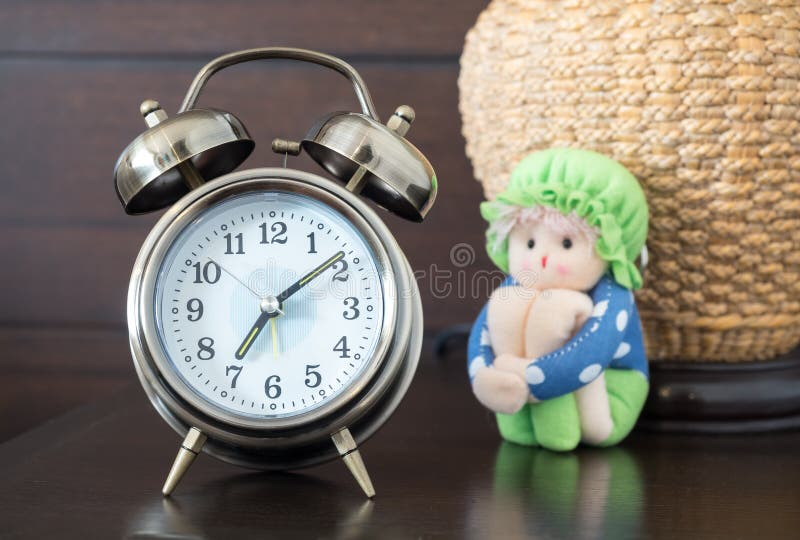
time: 7:09
